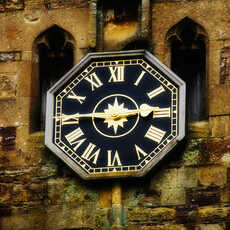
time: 2:45
